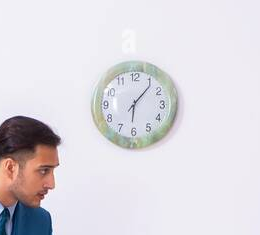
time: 6:06
